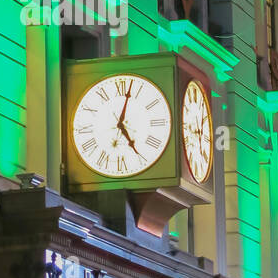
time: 5:02
